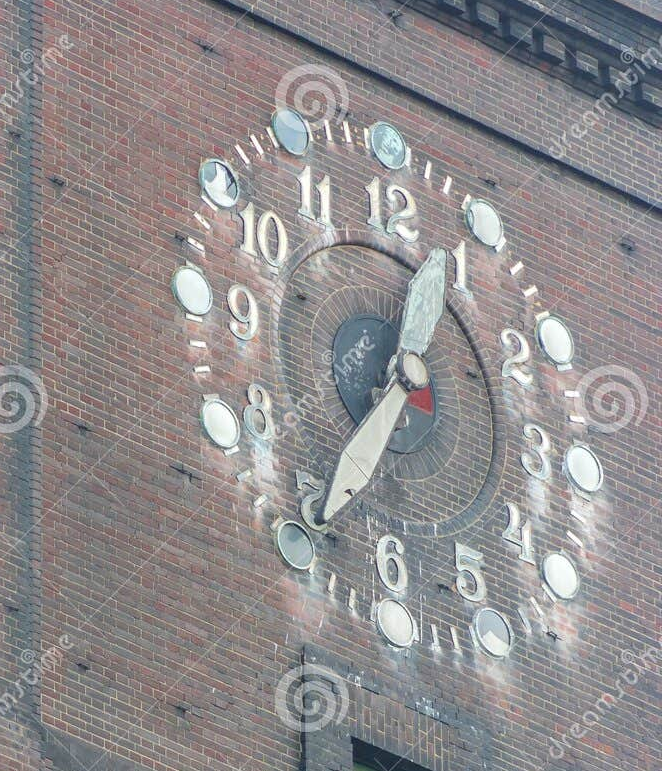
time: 12:34
